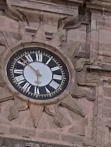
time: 5:51
